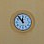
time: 11:54
